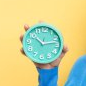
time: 10:12
